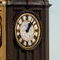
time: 1:07
